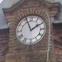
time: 1:56
